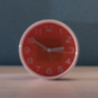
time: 2:50
